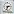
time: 2:33
